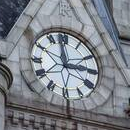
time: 2:58
